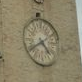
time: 4:39
